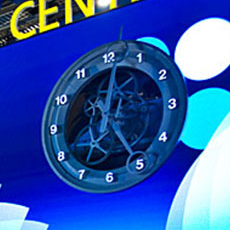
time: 5:01
